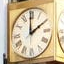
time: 1:59
